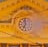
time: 6:58
